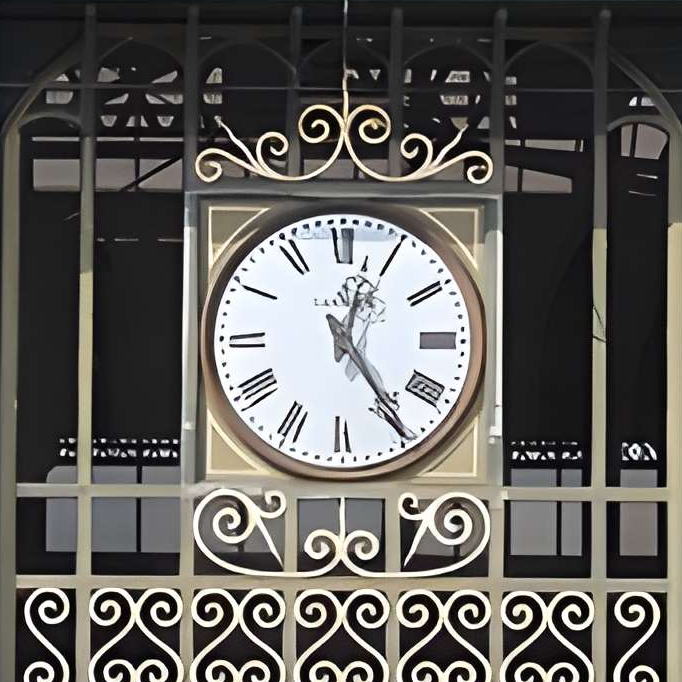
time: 12:24
